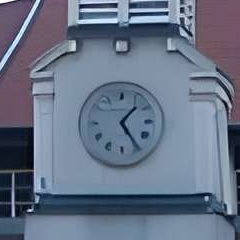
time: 1:24
